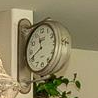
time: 11:41
